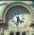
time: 4:31
